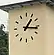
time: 1:16
